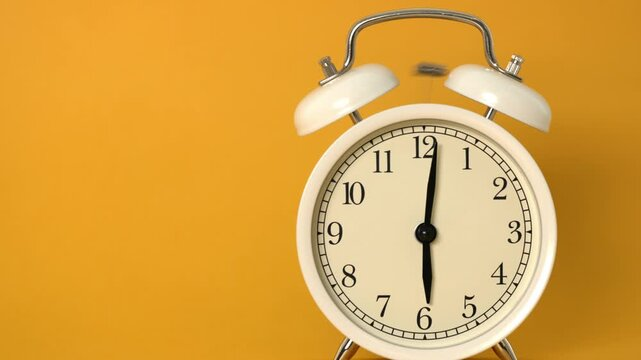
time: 6:01
